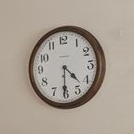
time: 4:30
